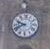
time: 9:42
